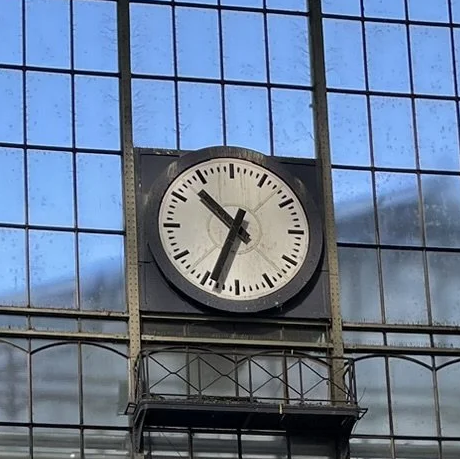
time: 10:34
